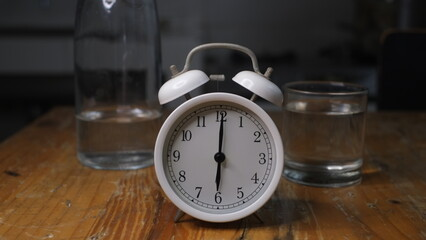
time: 6:00
